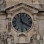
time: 11:19
